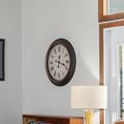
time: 12:18
